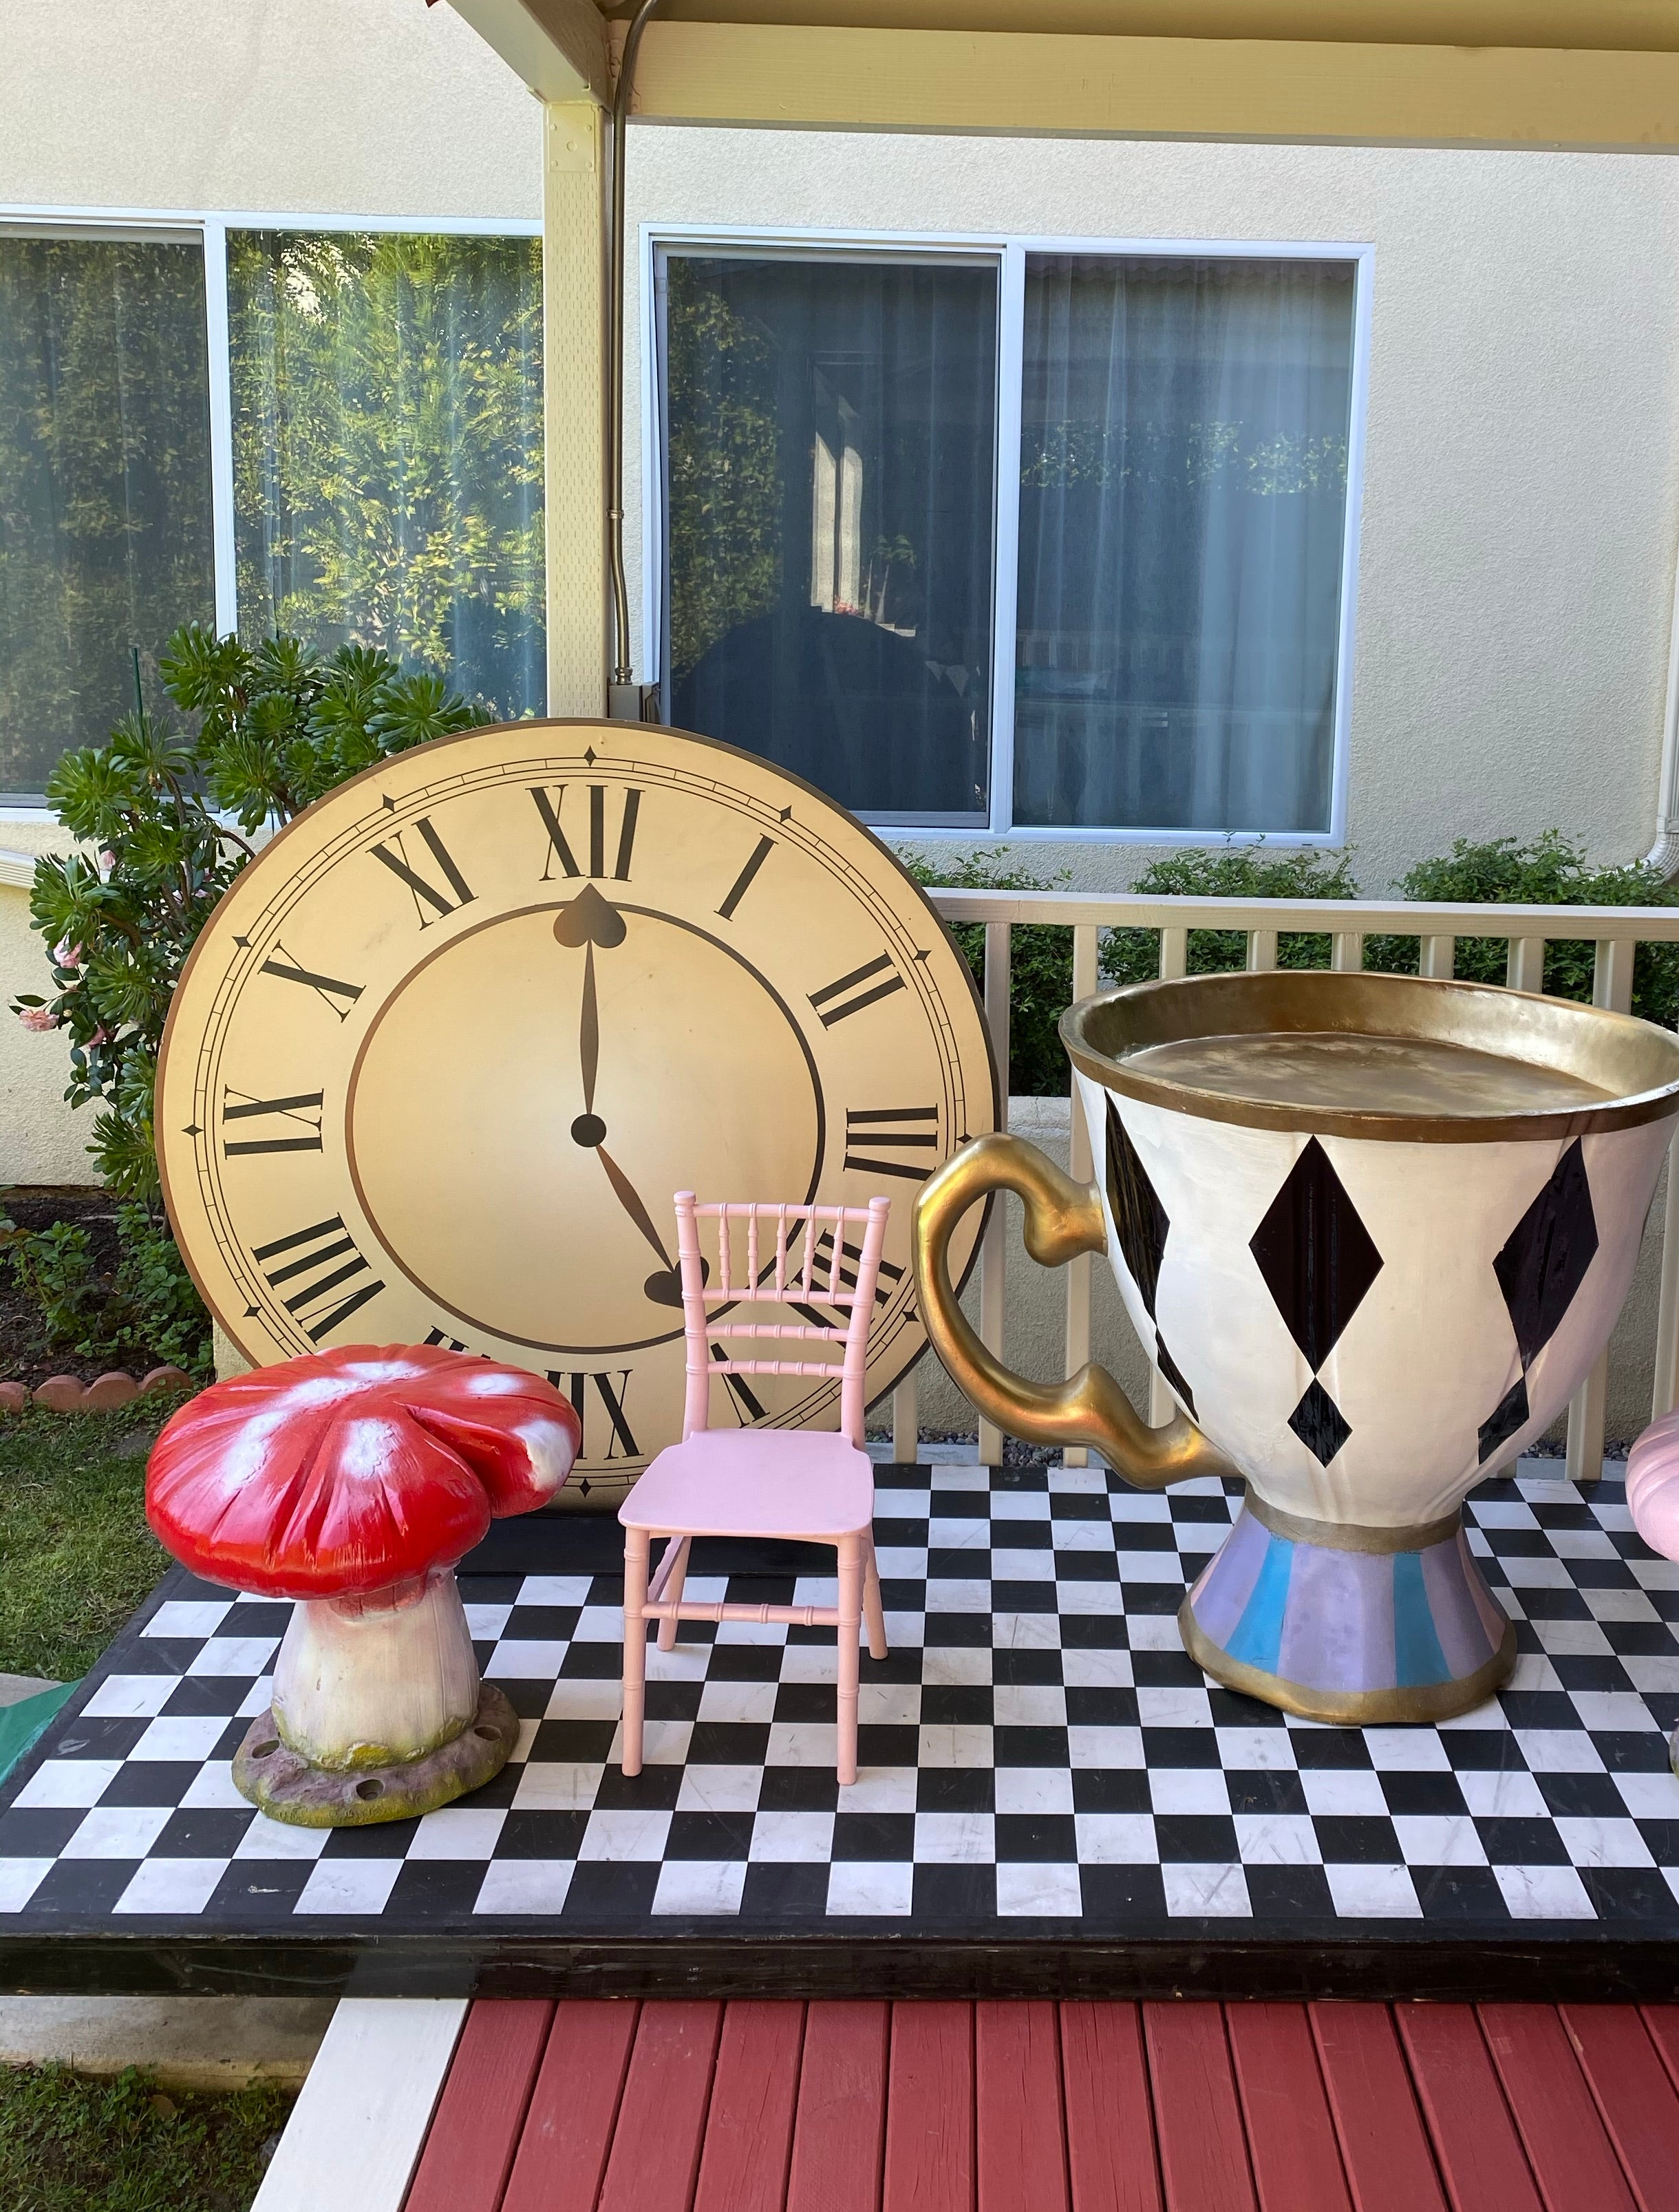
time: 5:00
